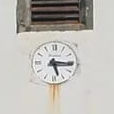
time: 5:15
